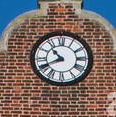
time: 10:41
